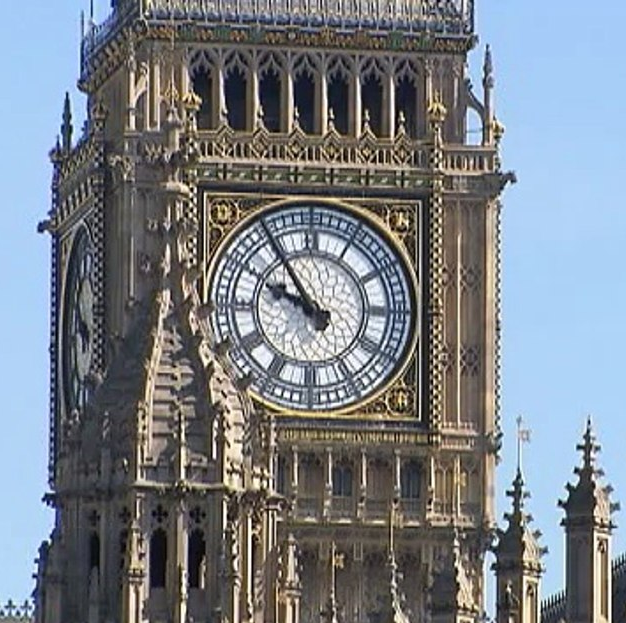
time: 9:54
